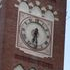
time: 6:29
